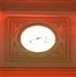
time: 2:40
